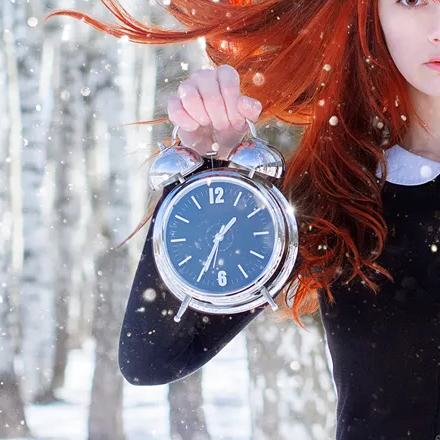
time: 1:34
